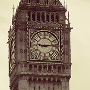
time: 9:14
